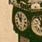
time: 11:52
